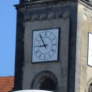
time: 8:53
